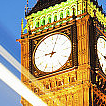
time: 9:03
